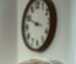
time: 3:49
